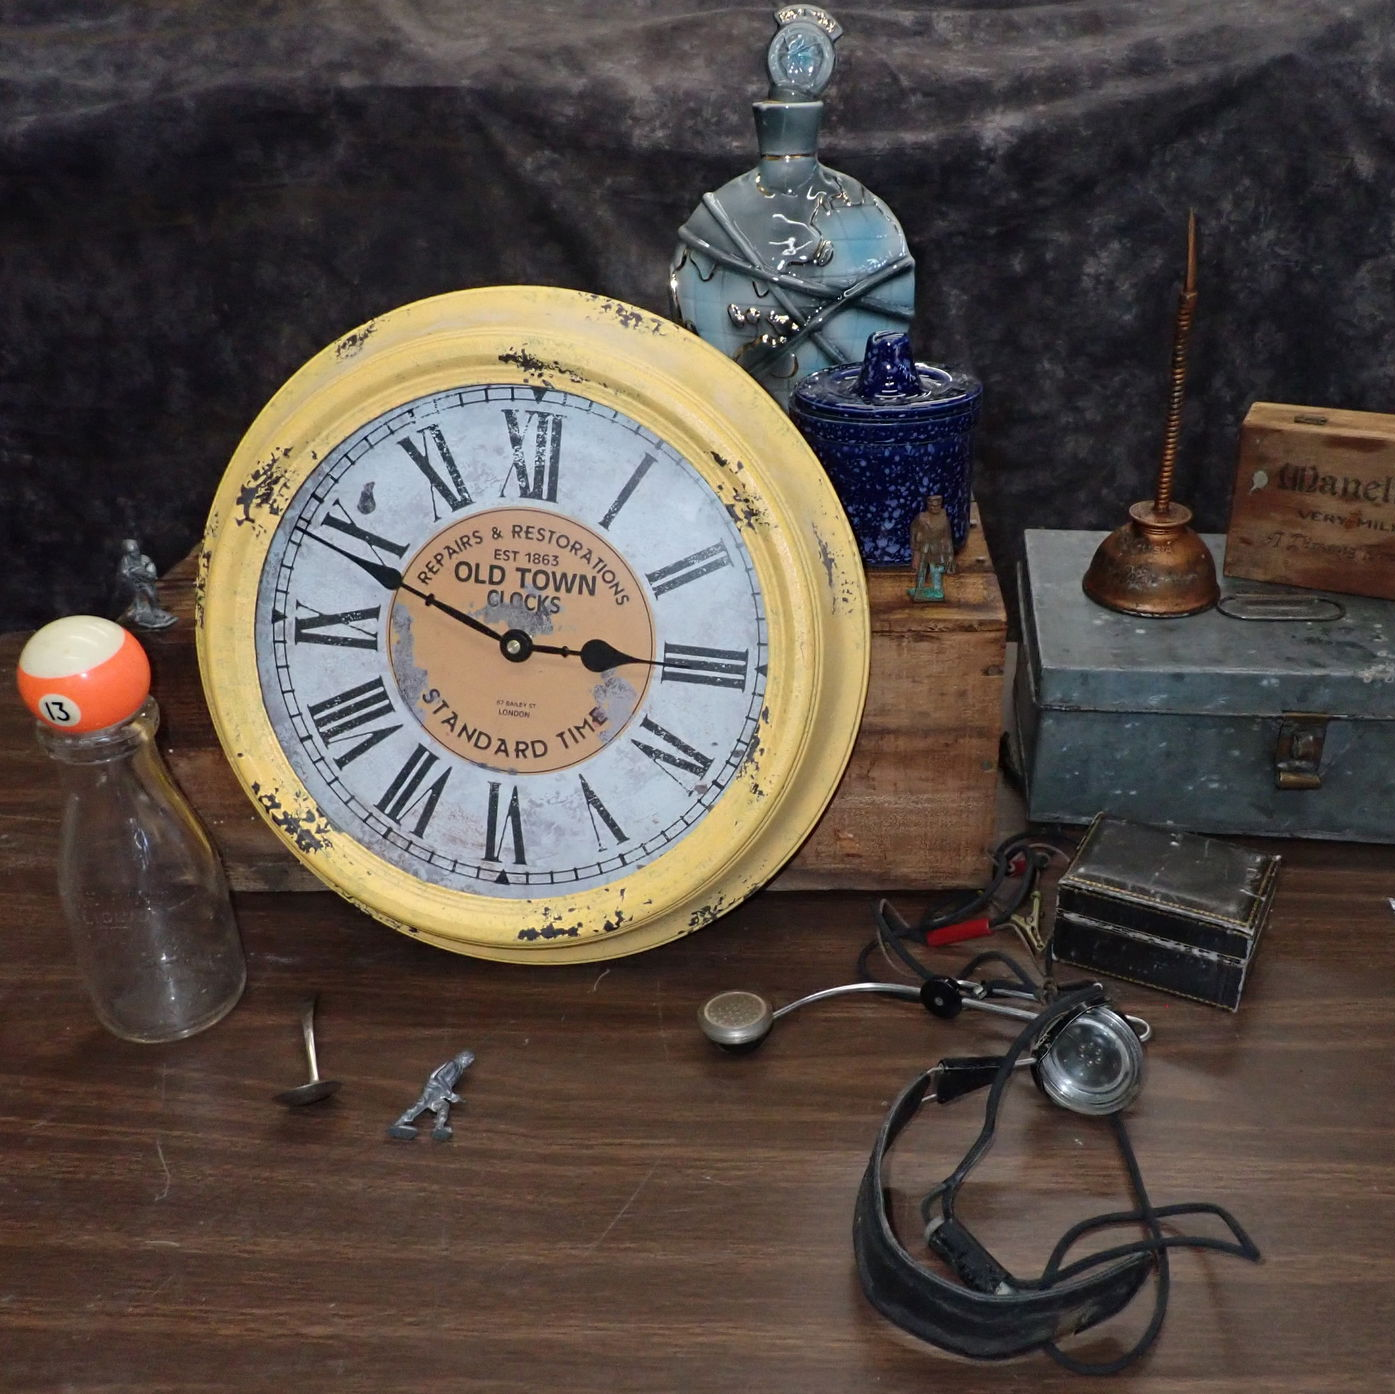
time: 2:48
